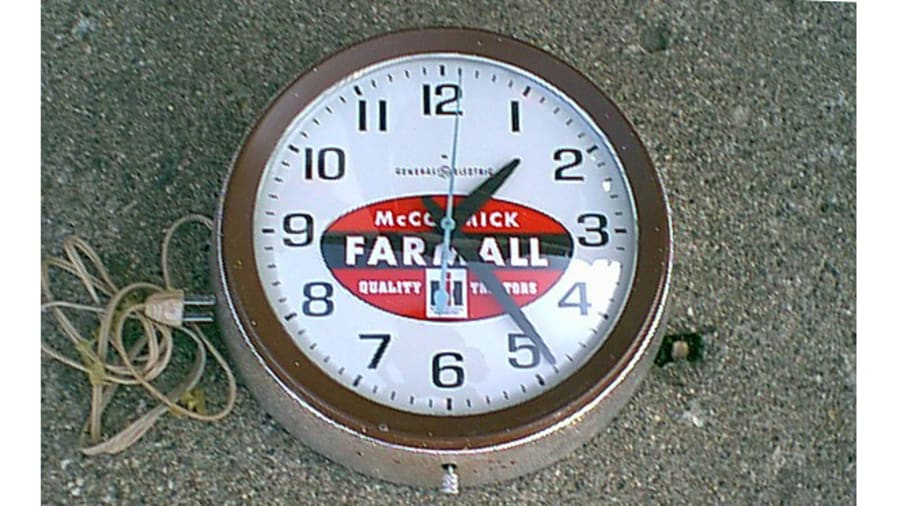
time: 1:23
